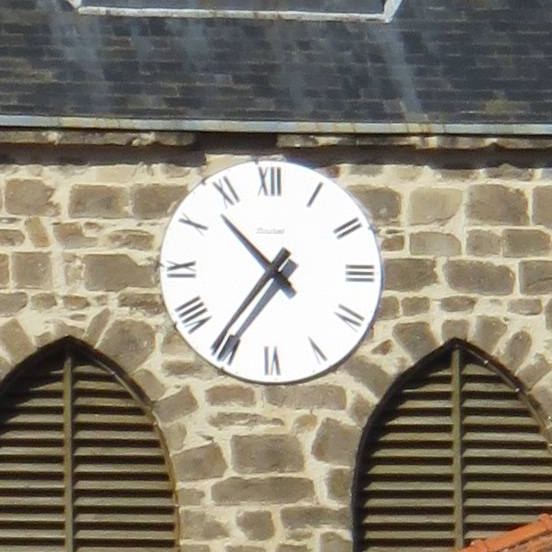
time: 10:36
